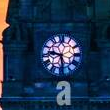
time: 9:28
